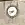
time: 8:38
